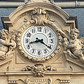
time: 8:21
